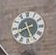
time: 5:40
